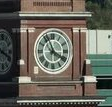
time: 3:56
